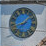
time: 8:08
